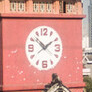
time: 1:52
